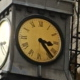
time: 3:23
